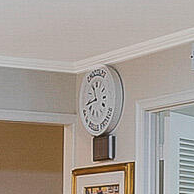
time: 10:42
